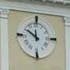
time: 11:50
